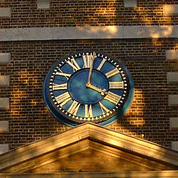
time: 4:02
